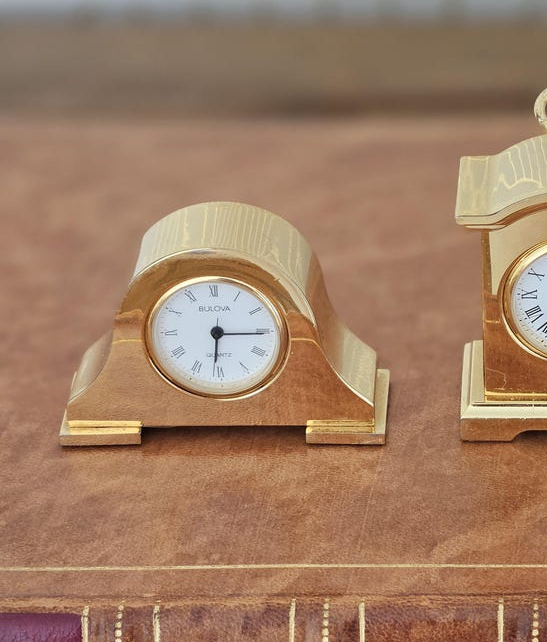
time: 6:14
